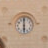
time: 5:59
